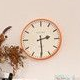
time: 2:29
